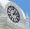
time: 1:12
